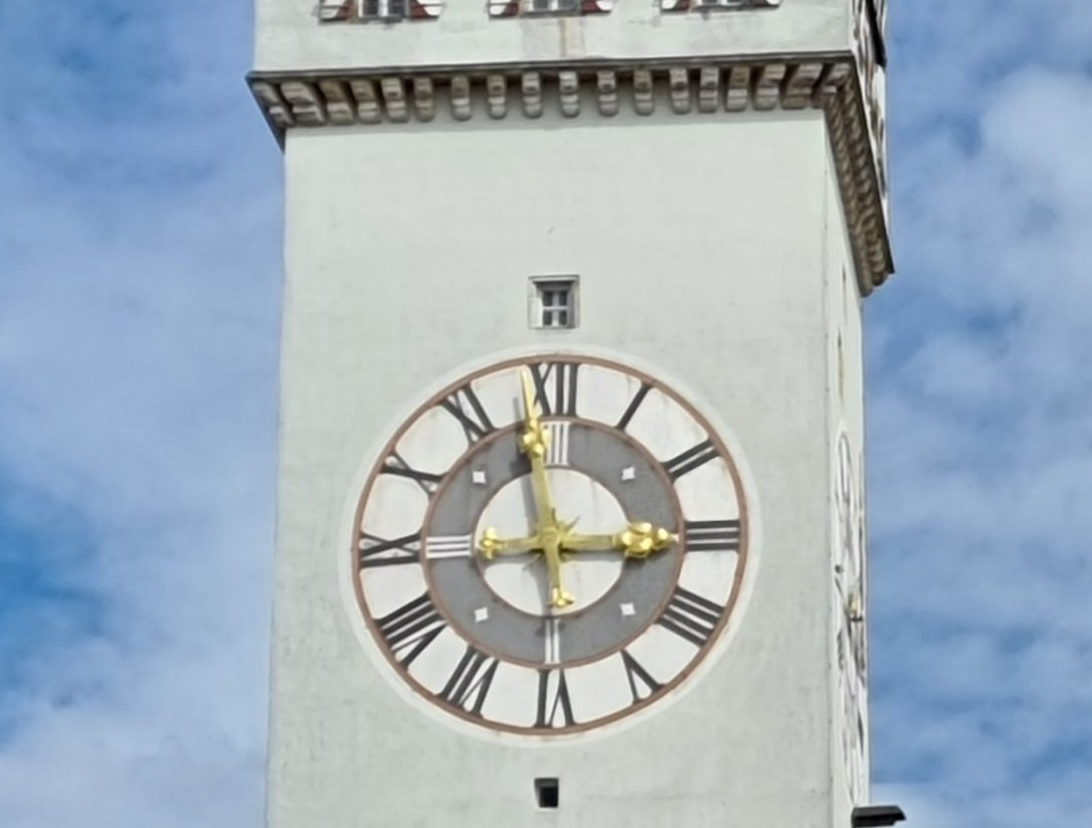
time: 2:57
